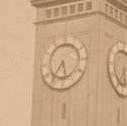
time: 5:35
